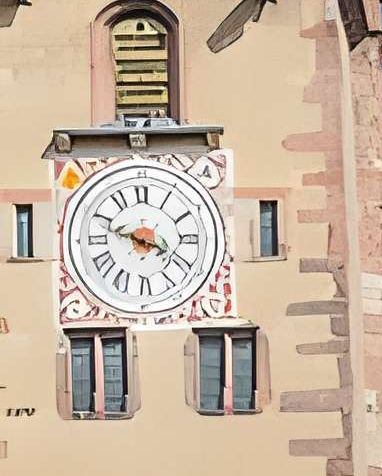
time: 3:48
